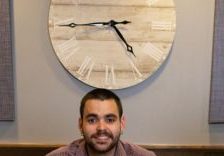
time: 4:44
